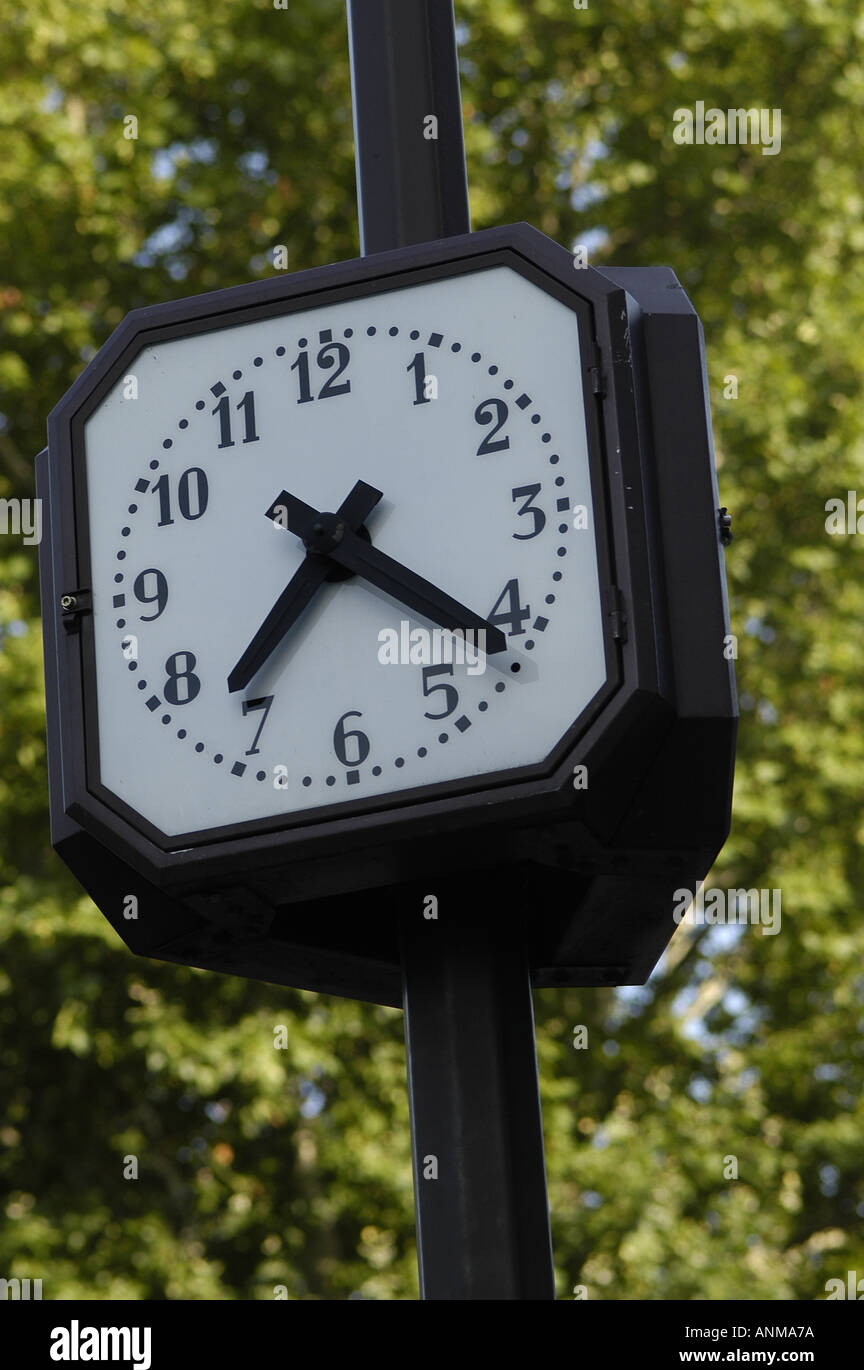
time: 7:21
